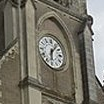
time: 6:06
